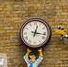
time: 12:16
